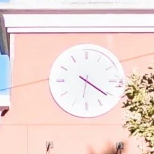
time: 6:21
